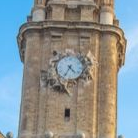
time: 4:35
